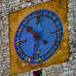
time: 10:32
